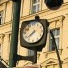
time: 7:39
